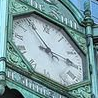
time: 2:54
